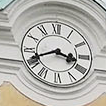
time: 3:41
